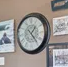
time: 1:23
